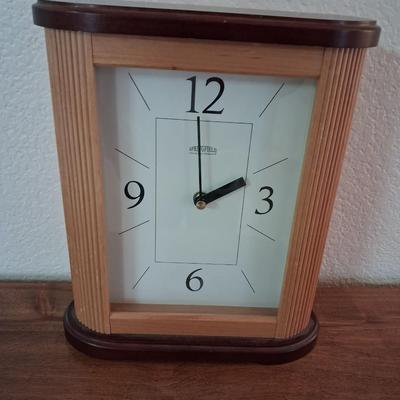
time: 1:59
